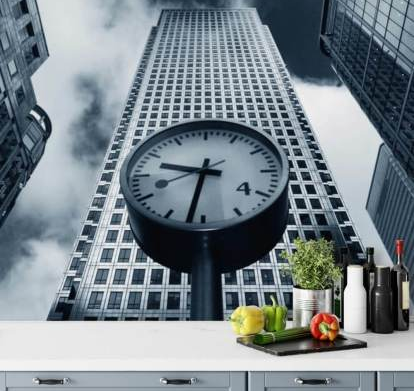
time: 9:32
